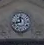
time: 11:42
